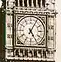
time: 5:05
